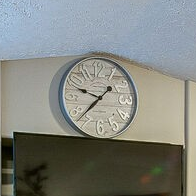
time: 1:37
